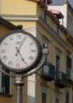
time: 5:03
